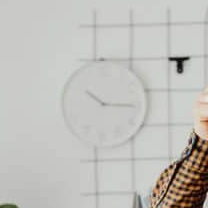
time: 10:15
